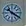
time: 10:20
